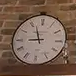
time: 8:56
